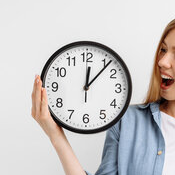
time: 12:06
